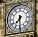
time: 7:30
